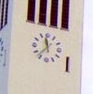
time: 11:36
